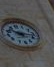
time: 4:16
